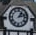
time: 1:12
